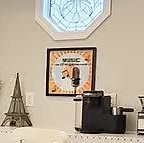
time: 6:14
